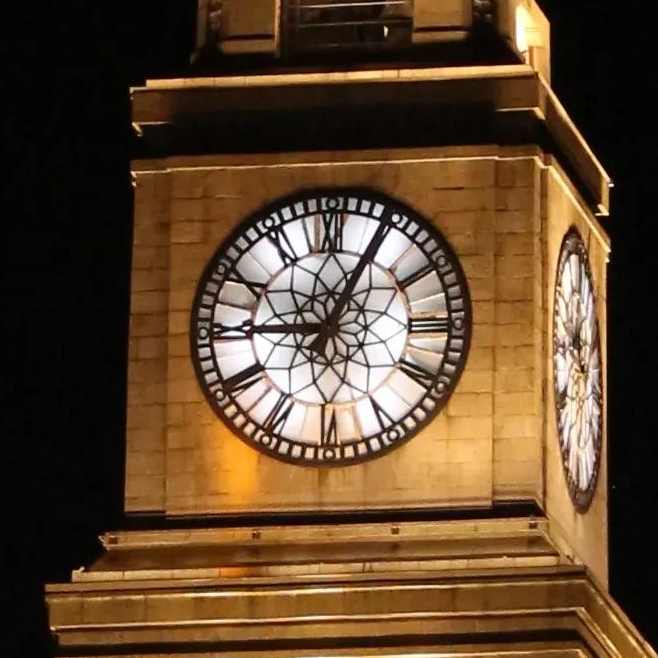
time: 9:04
